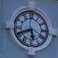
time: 5:40
